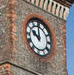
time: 9:59
